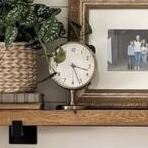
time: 3:26
